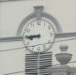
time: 8:45
